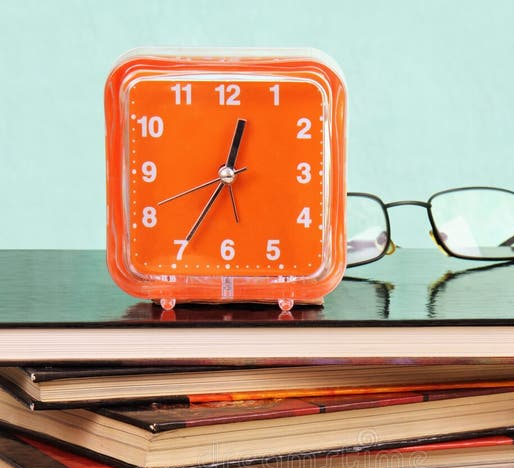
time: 12:35
